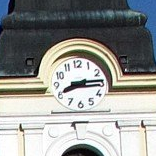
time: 8:14
